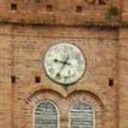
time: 9:35
